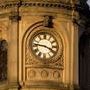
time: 3:46
